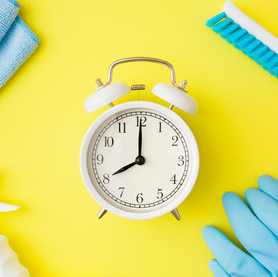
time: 8:00
